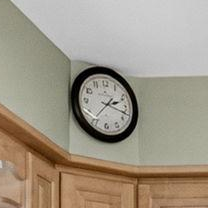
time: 2:17
